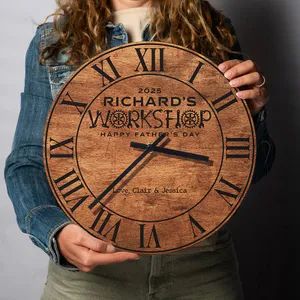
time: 3:37
